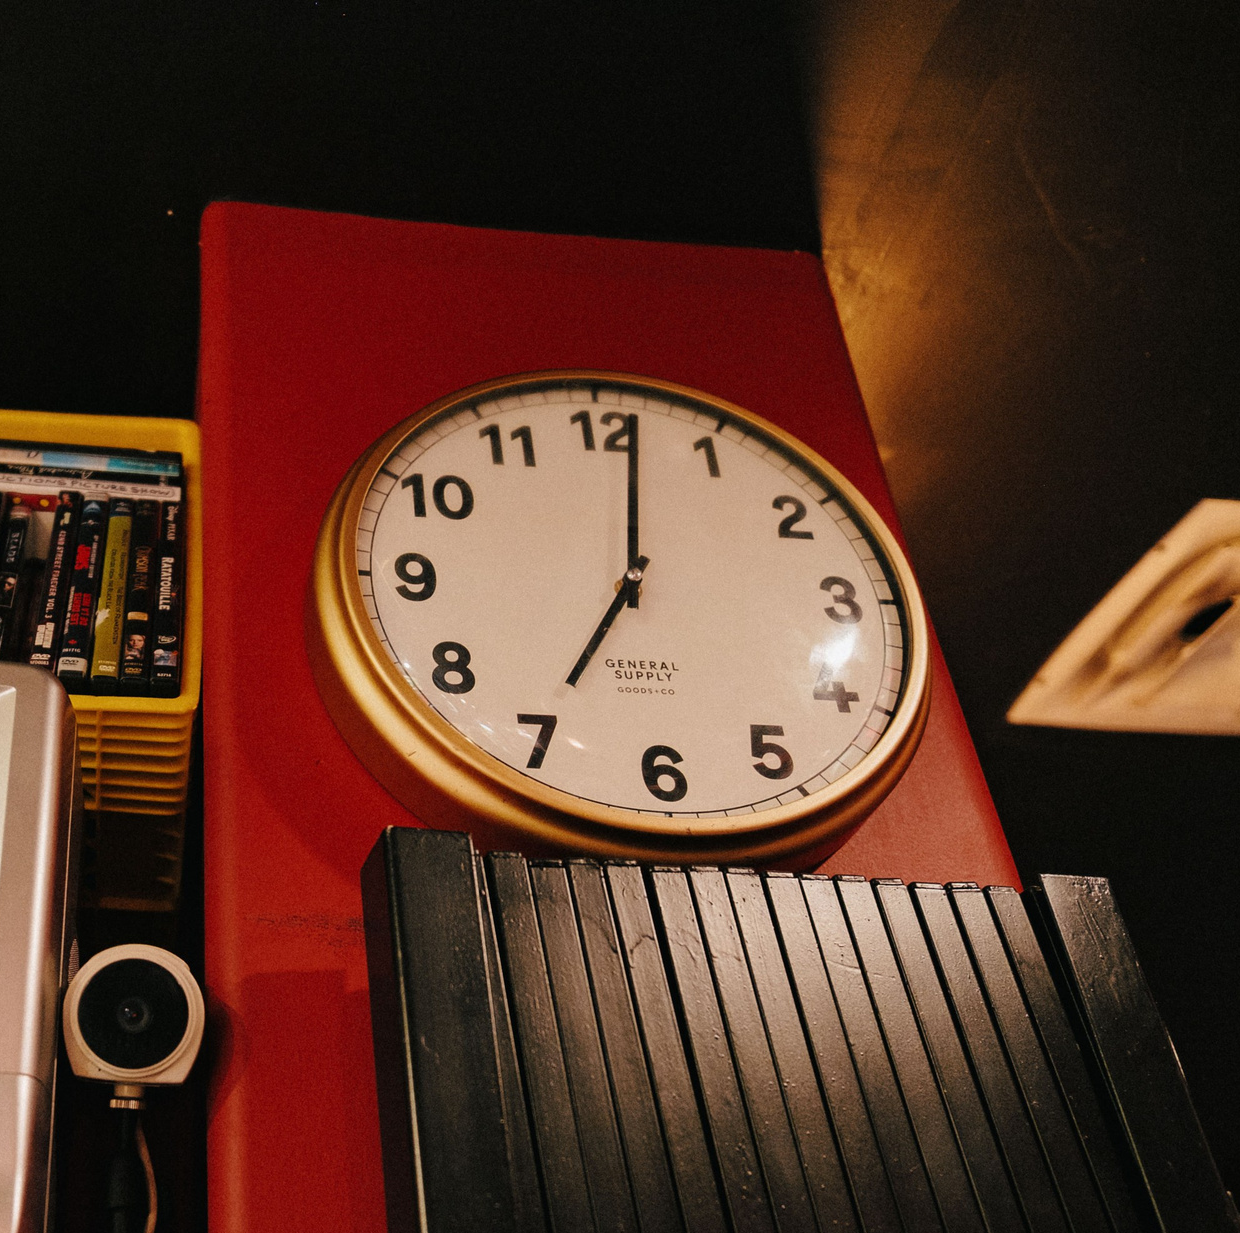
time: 7:01
